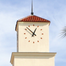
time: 12:52
